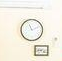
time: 11:11
